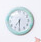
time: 7:30
